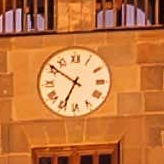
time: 6:50
